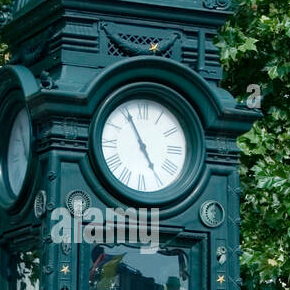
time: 4:55
